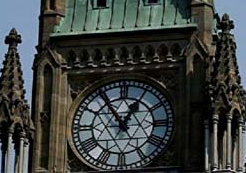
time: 12:54
